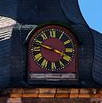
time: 3:48
